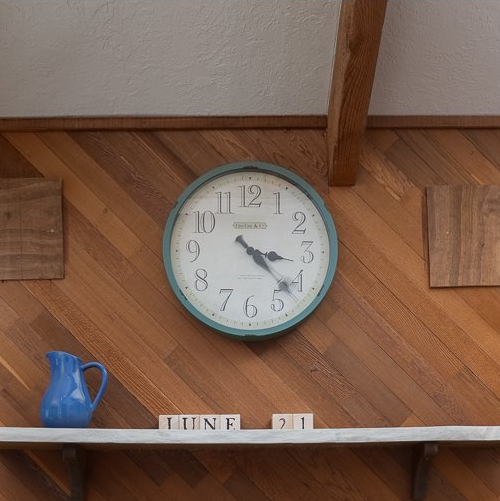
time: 3:22
